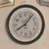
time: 8:06
